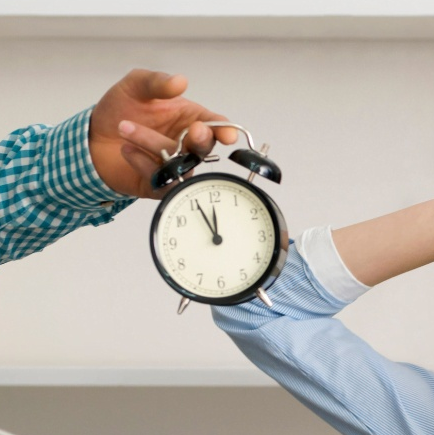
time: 11:55
